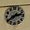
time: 2:39
